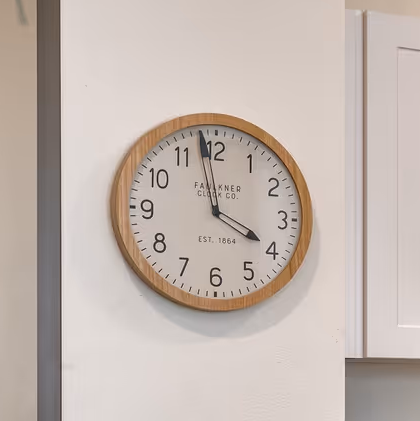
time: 3:58
